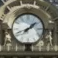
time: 1:41
